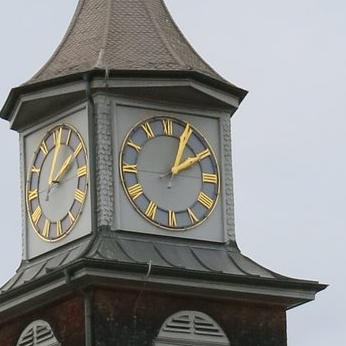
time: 2:04
